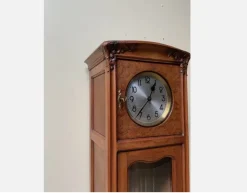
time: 12:37
